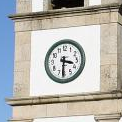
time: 3:30
